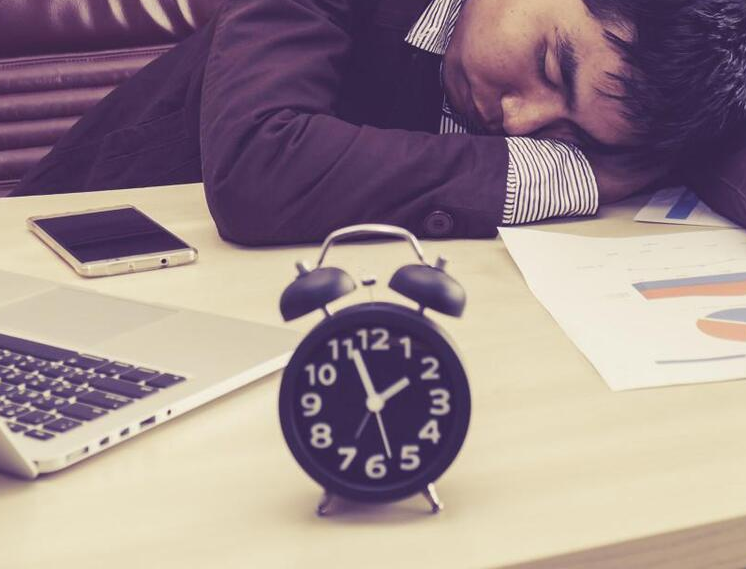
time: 1:56
